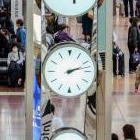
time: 2:12
